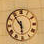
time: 5:54
